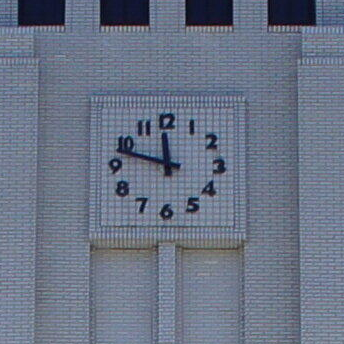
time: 11:48
